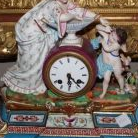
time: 4:29
